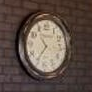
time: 10:36
